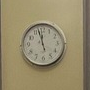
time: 11:57
